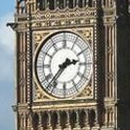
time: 2:37
